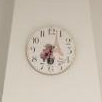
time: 7:32
